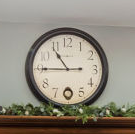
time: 10:45
